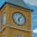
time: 6:06
